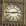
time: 2:44
